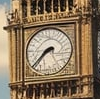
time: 7:37
